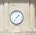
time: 1:36
